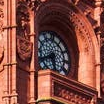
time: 5:40
